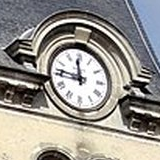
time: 11:46
